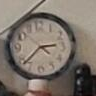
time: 2:37
